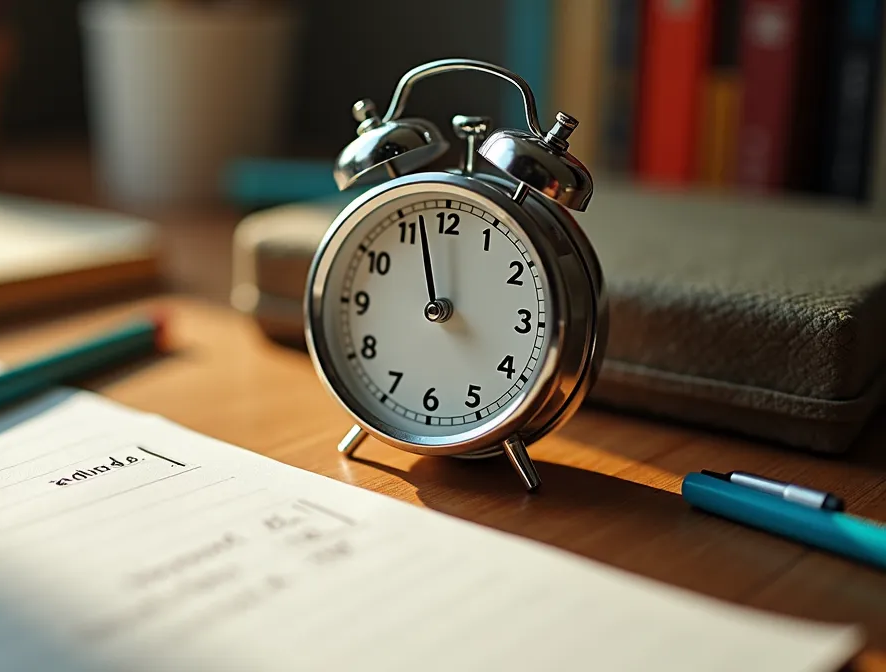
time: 3:57
